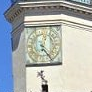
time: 12:23
